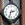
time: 2:33
